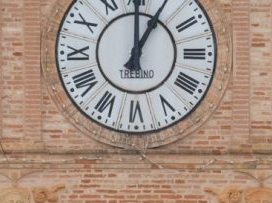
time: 1:00
